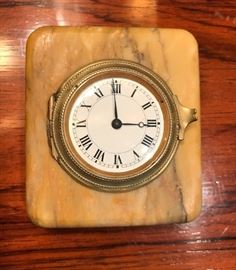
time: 2:59
